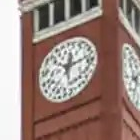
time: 12:12
